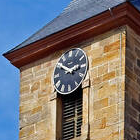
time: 2:50
